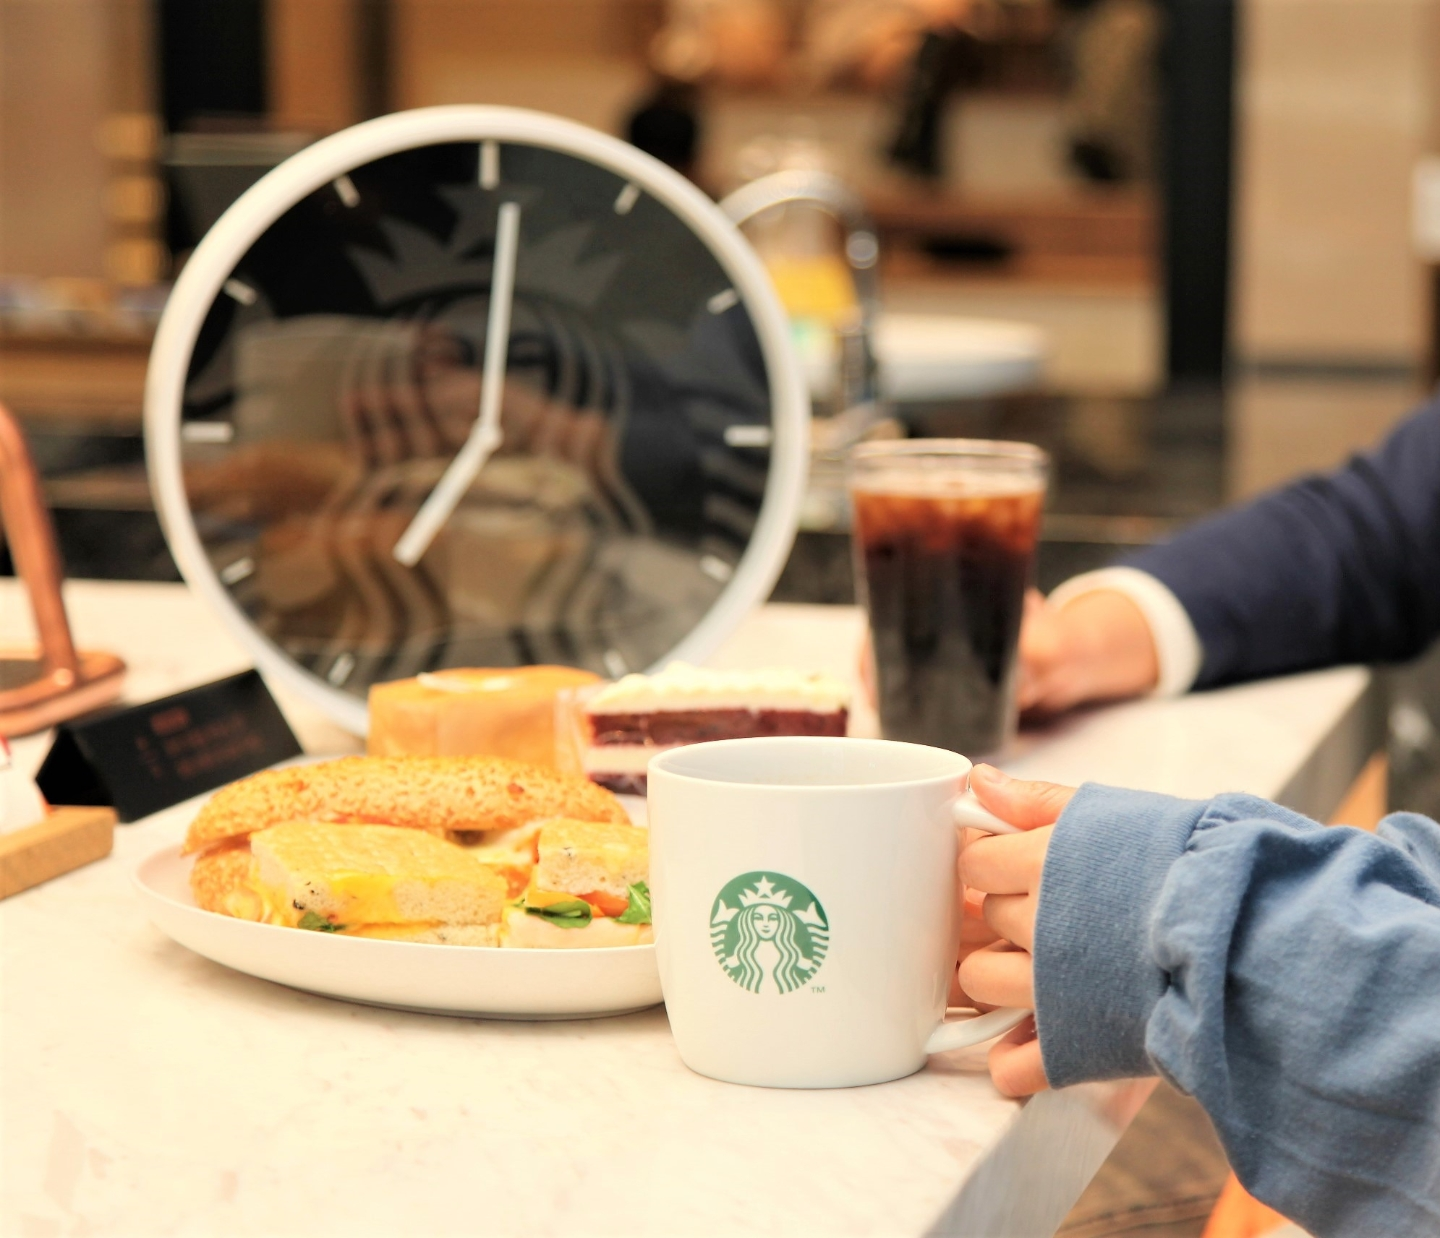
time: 7:00
